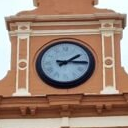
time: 2:15
